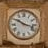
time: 10:17
